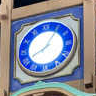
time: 8:05
